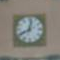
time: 8:02
